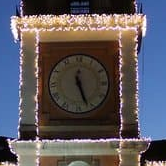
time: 12:26
